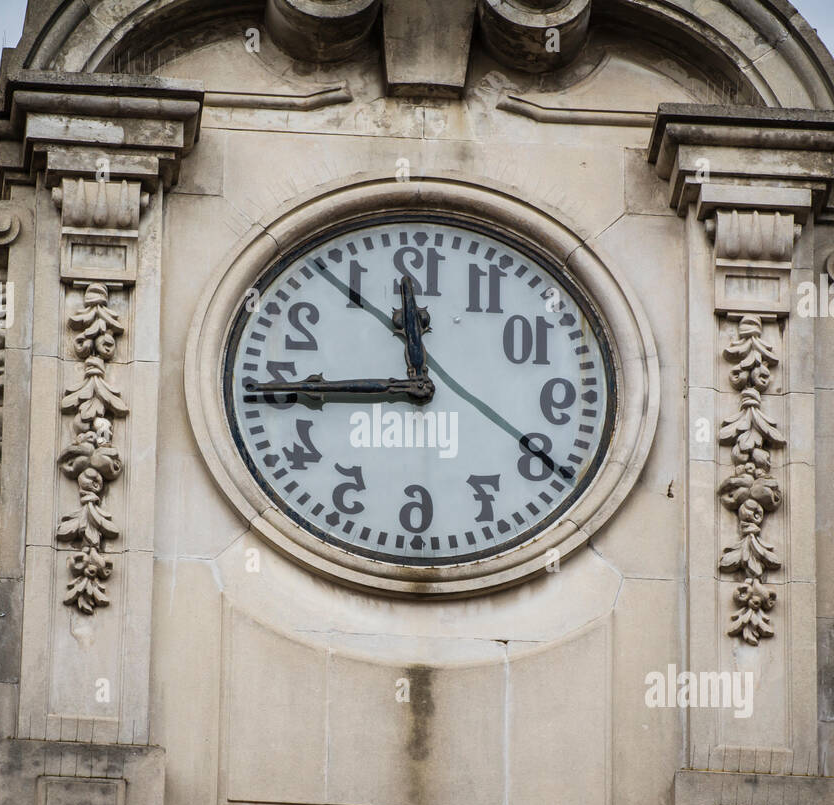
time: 11:44
